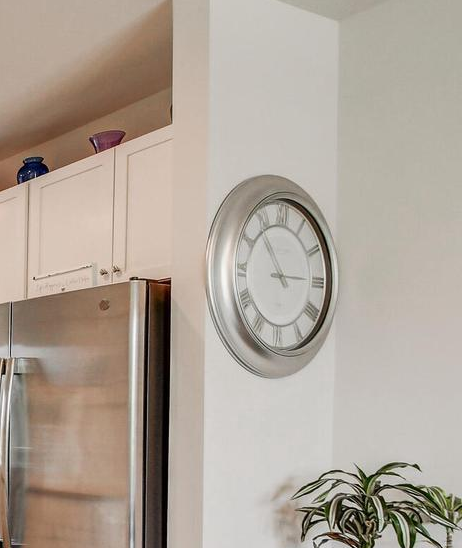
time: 2:54
